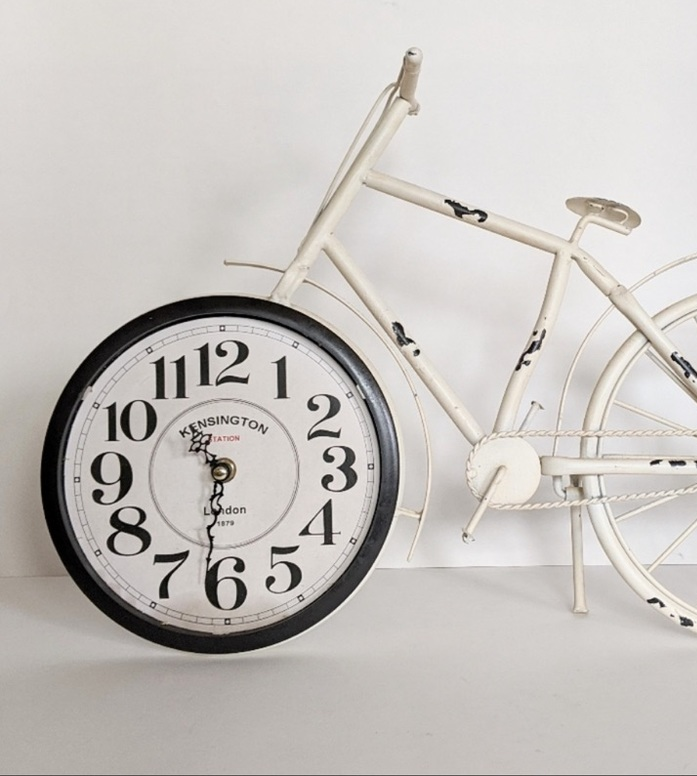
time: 10:31
